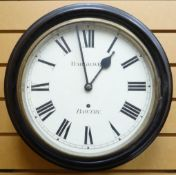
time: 12:58
